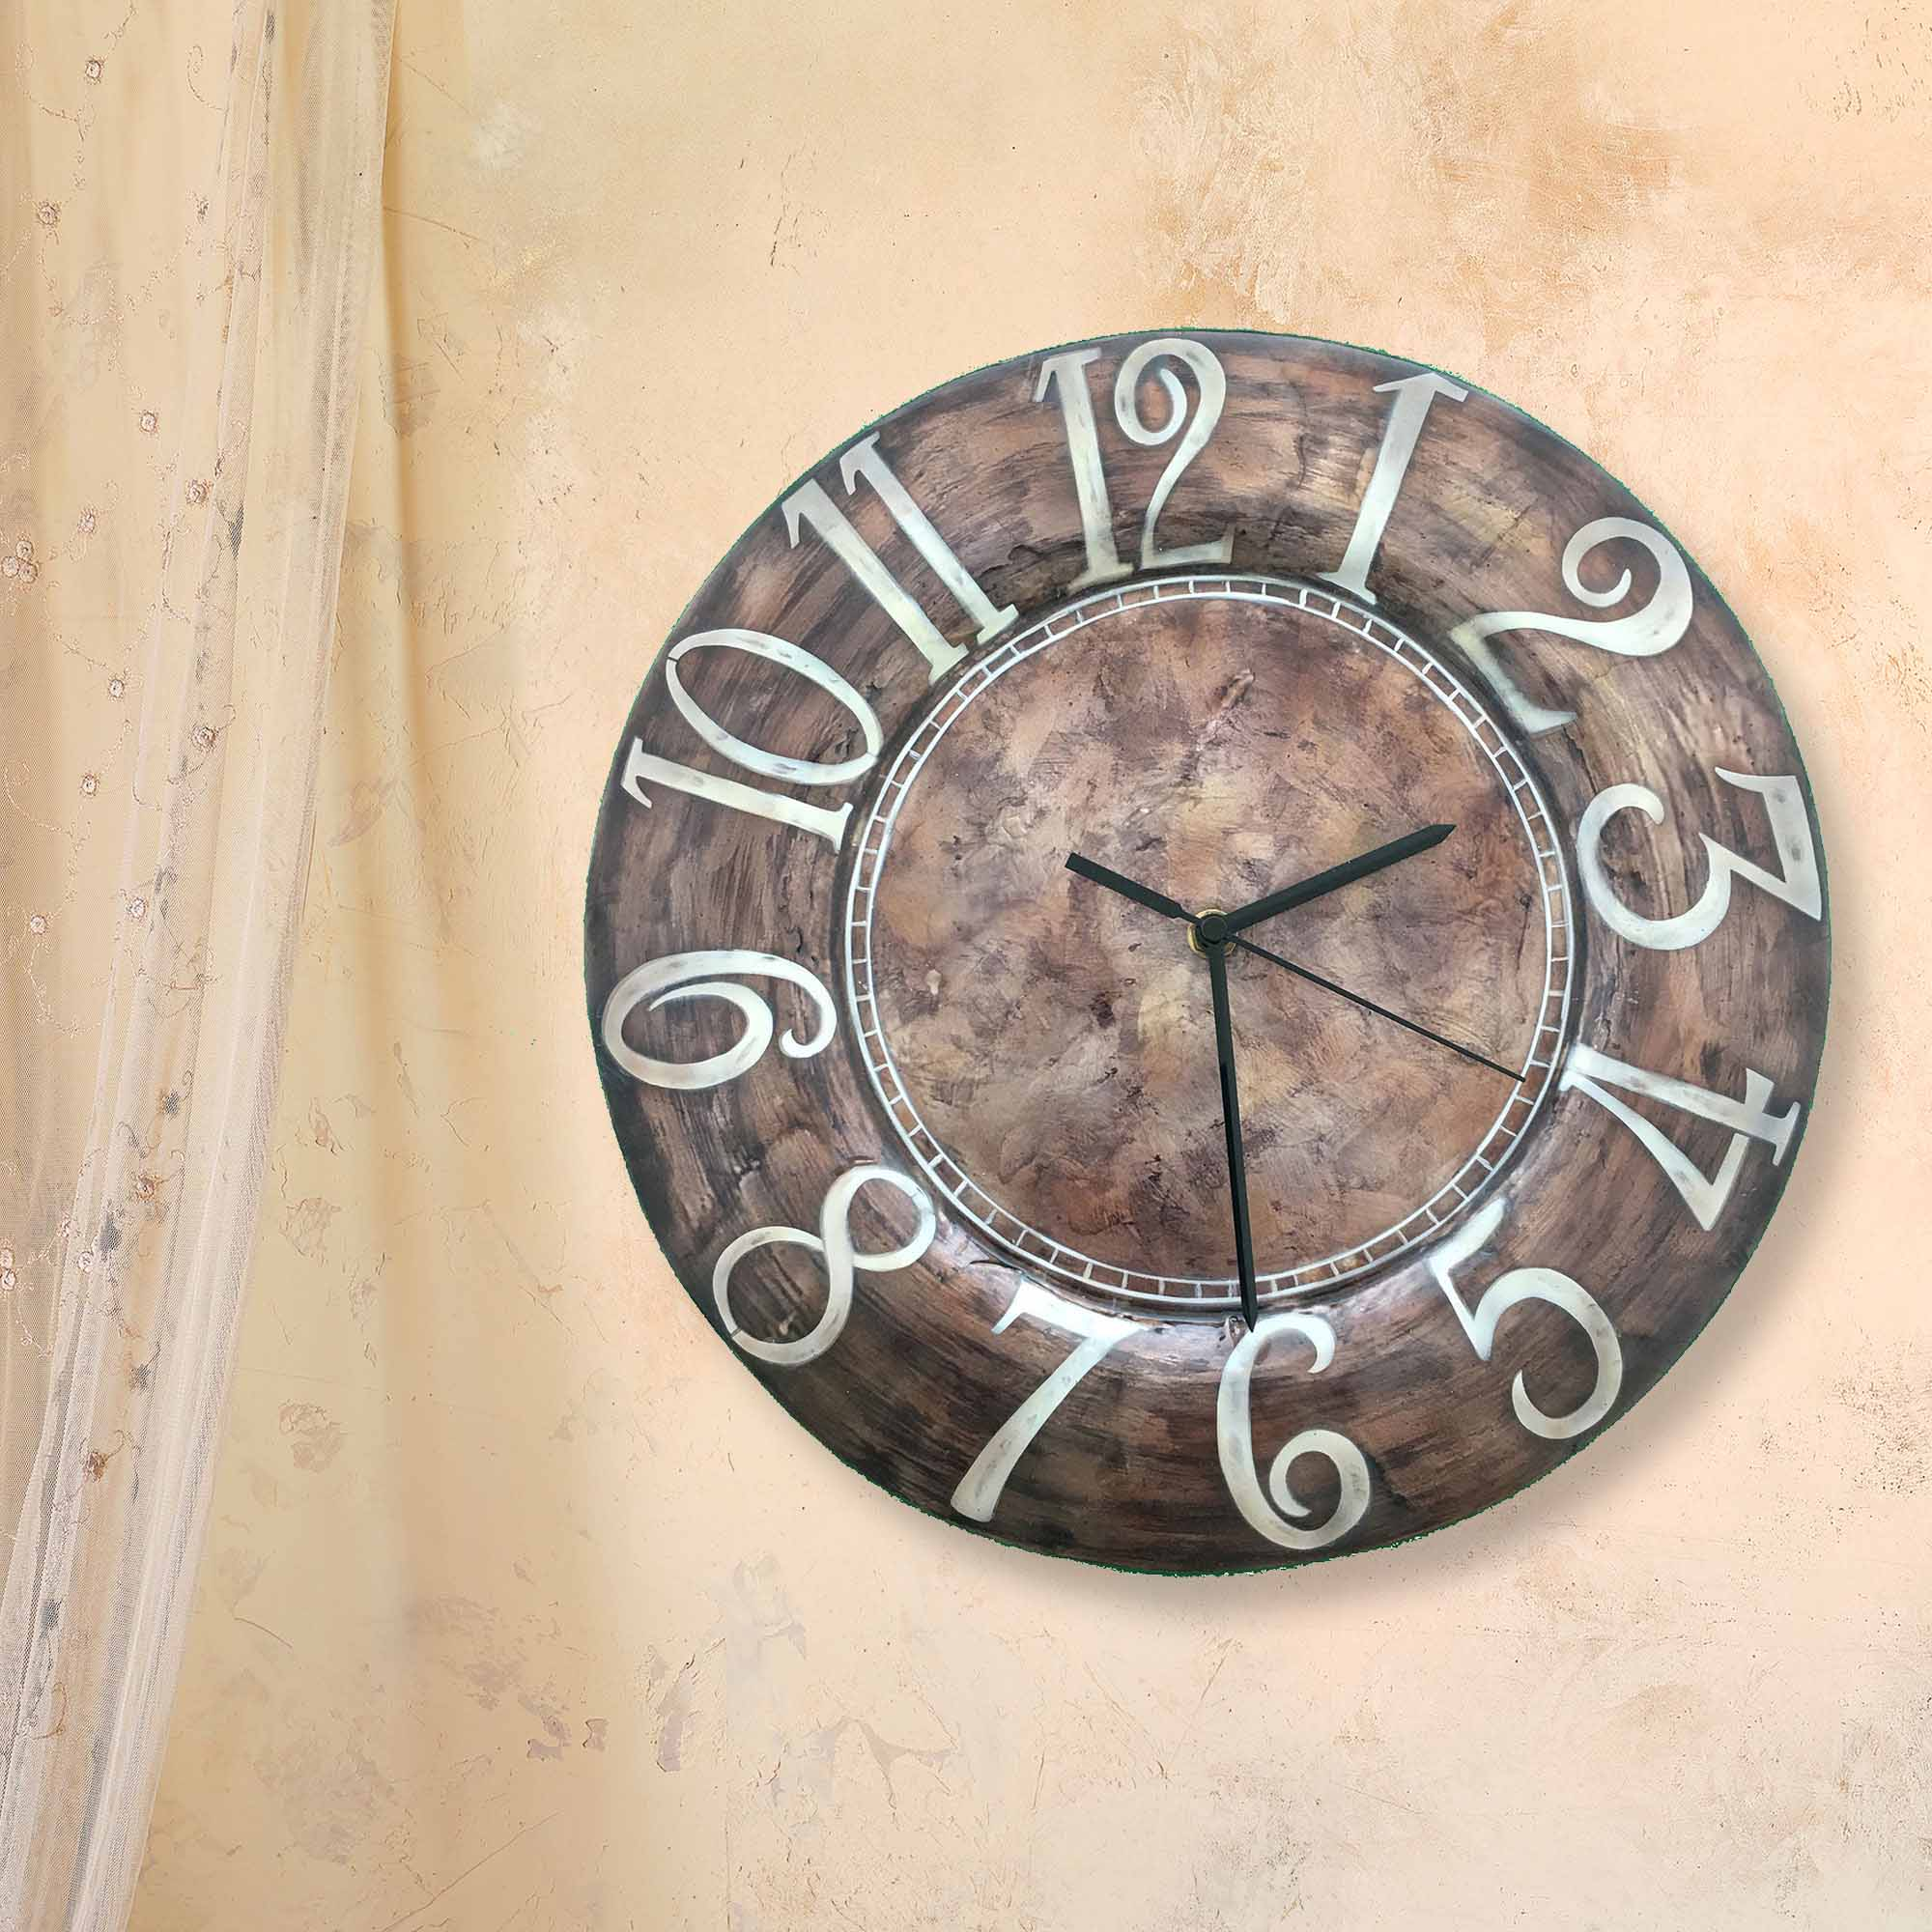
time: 2:30
